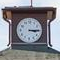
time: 3:14
